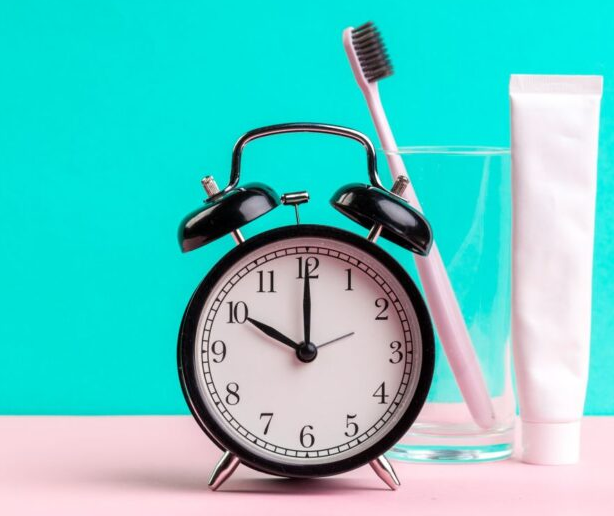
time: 10:00
